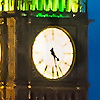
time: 4:27
